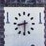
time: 8:30
